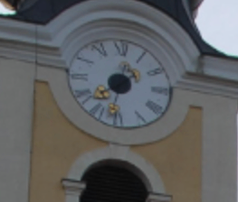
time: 7:32
